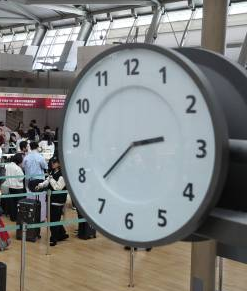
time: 2:37
